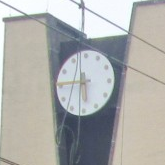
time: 5:45
